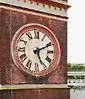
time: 5:10
